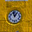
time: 12:57
